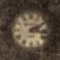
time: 2:17
